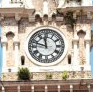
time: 11:47
